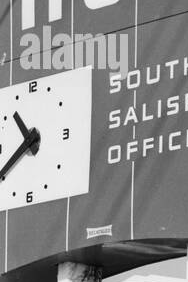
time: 10:40
